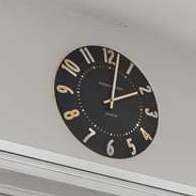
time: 2:01
